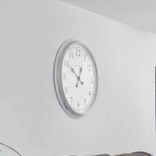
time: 12:50
